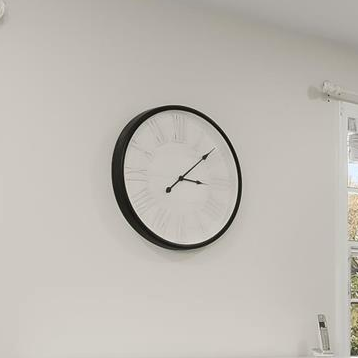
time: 3:08
